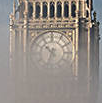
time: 10:32
